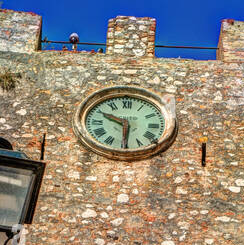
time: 5:49
